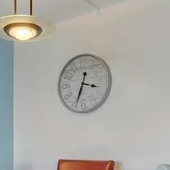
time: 3:33
